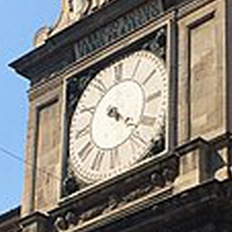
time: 4:21
